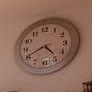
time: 4:40
